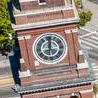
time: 12:00
